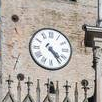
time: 4:23
